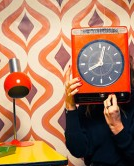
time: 8:02
